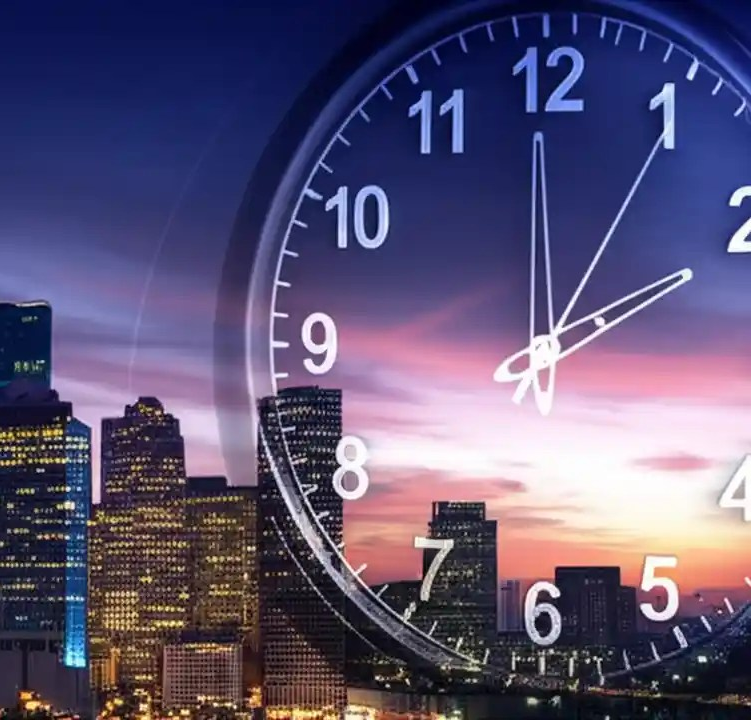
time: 1:59
